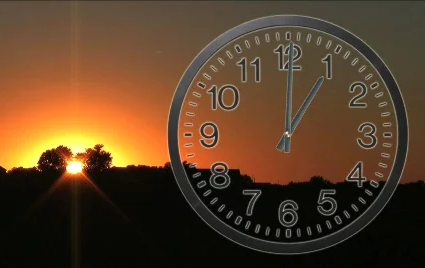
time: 1:00
